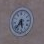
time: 5:37
